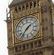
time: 1:36
